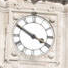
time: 3:50
